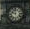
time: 9:59
